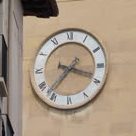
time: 7:18
